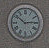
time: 10:14
